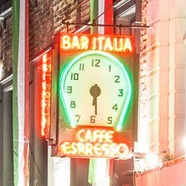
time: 6:29
